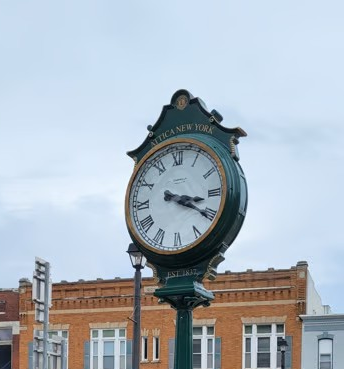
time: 3:20
